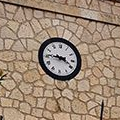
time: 3:45
